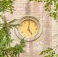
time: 5:01
